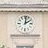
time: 2:01
